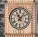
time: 11:07
